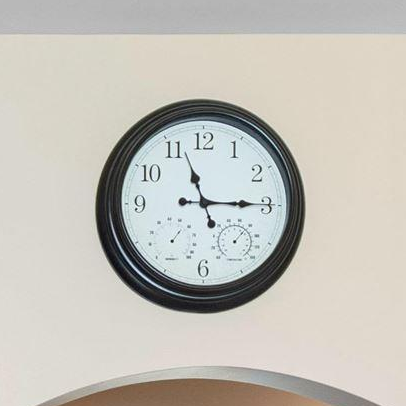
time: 11:14
